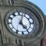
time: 5:03
